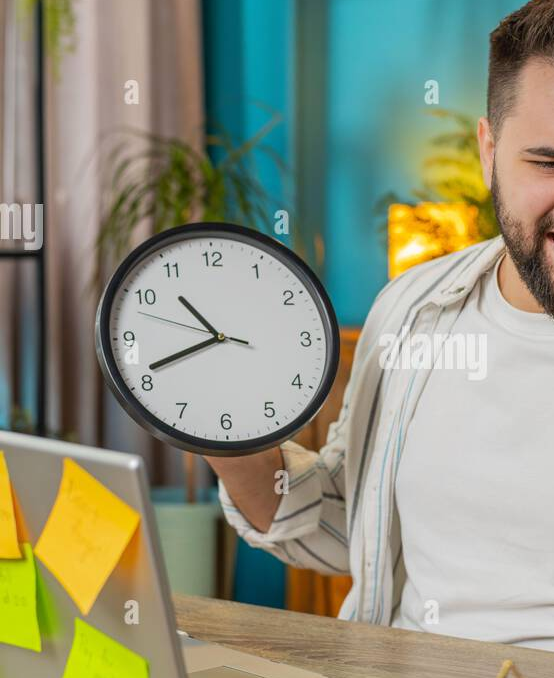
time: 10:40
